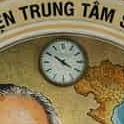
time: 10:20
